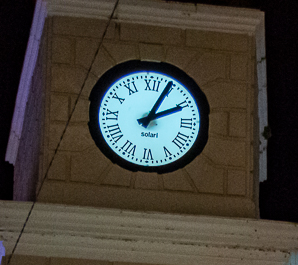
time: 2:04
